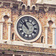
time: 10:52
